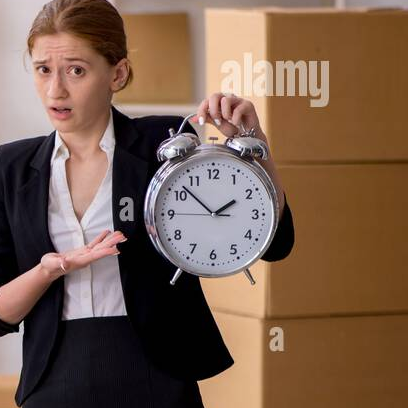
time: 1:52
